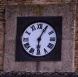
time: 6:04
